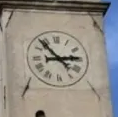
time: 2:53
